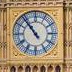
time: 10:53
